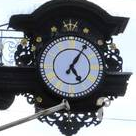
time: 5:05
